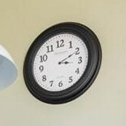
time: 3:10
